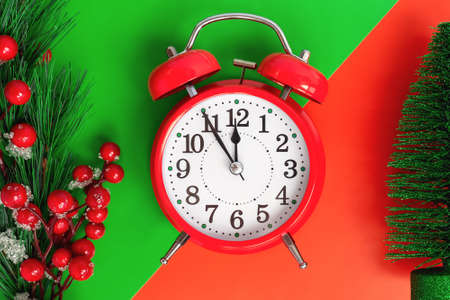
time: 11:54
